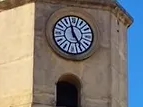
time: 4:57
